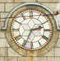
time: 2:34
